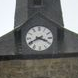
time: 3:40
